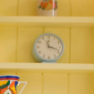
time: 11:18
